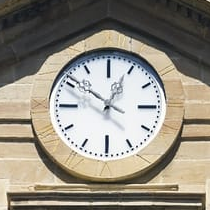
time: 12:51
